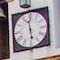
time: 11:28
